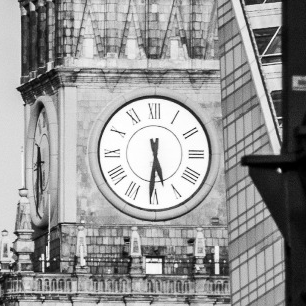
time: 5:30
